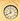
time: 11:40
